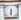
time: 6:29
